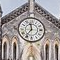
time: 11:36
